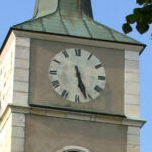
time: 5:26
